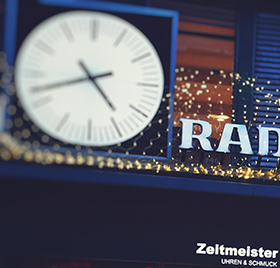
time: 4:42
